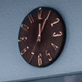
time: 12:04
